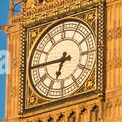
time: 6:45
